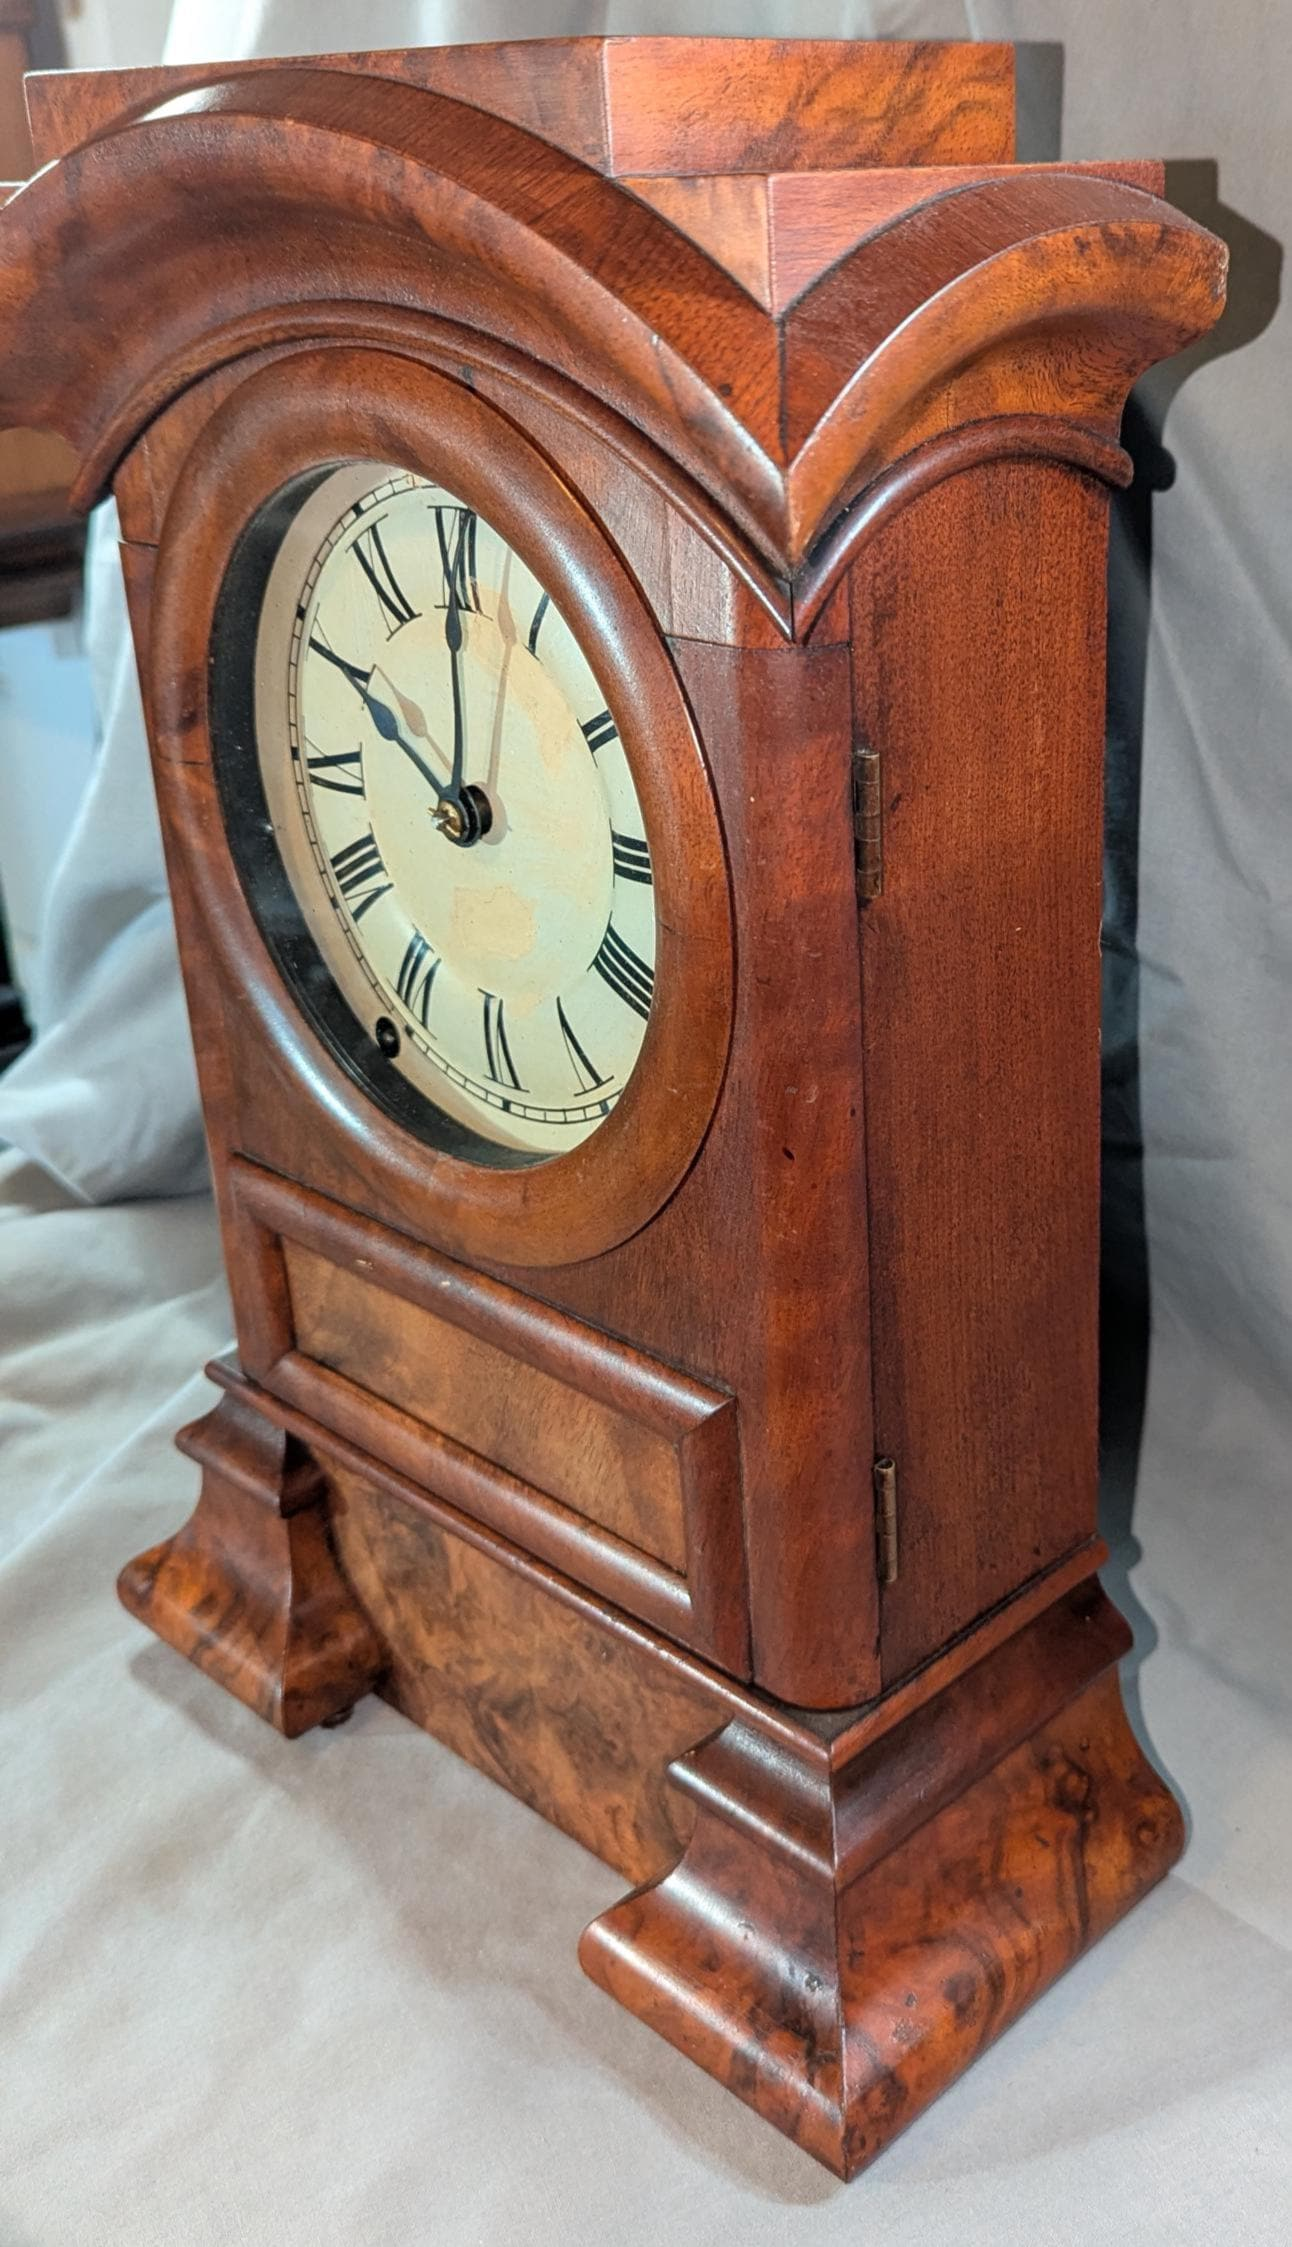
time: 10:00
